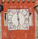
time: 5:59
